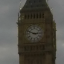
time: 2:48
